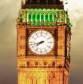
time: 7:42
